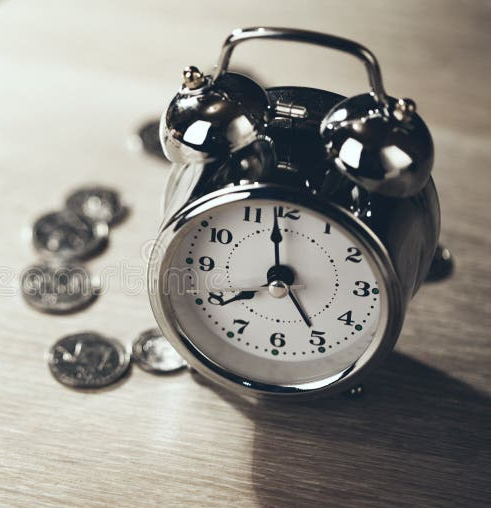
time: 7:58
